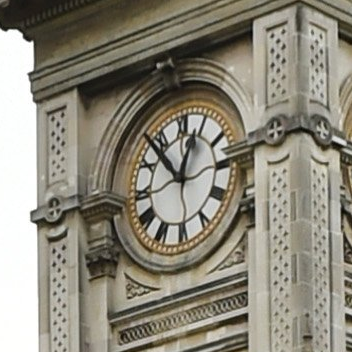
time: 12:53
